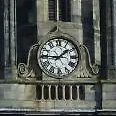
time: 1:45
